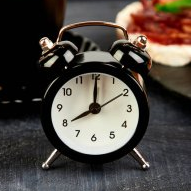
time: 8:00
